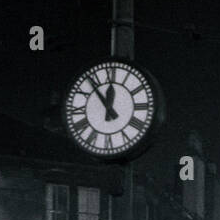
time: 11:53
